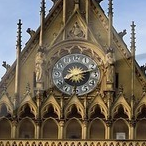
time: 8:12
